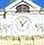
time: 11:07
